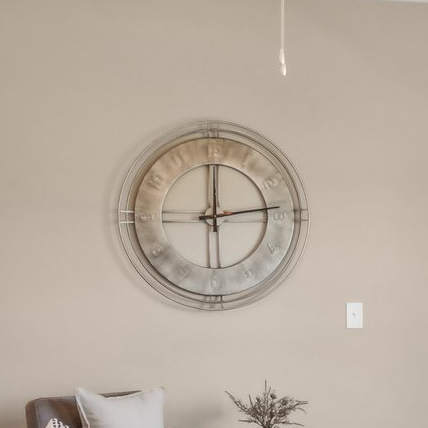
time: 12:13
